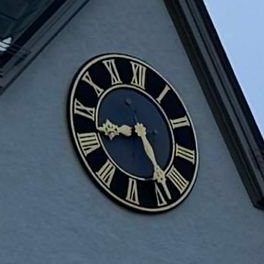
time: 8:23
